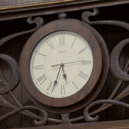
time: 5:33
